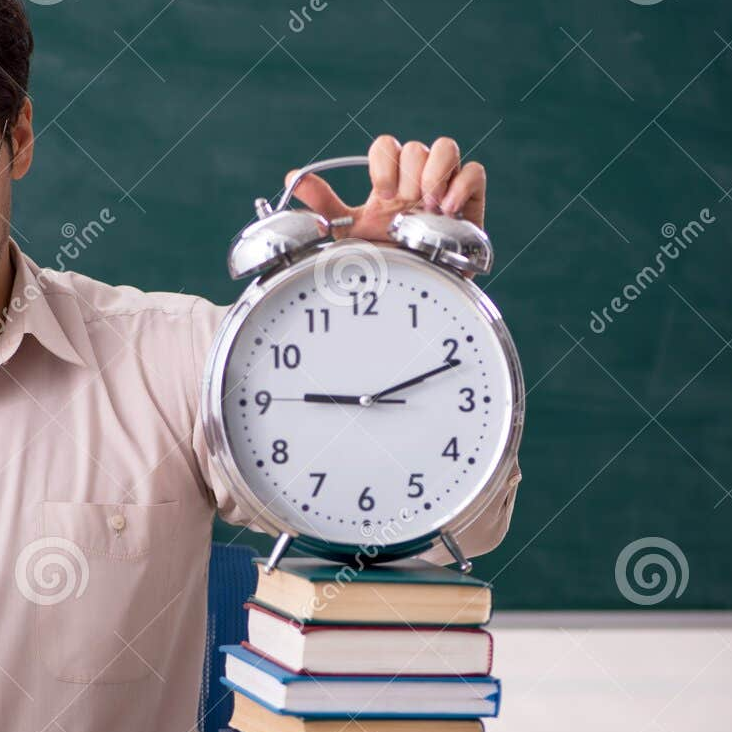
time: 9:11
